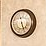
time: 5:26
